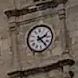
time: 2:23
